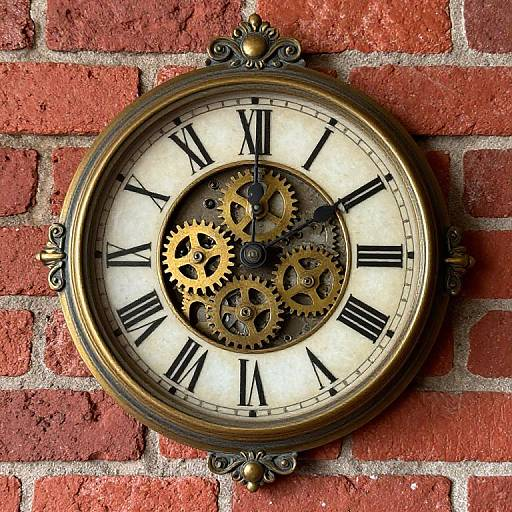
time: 12:09
